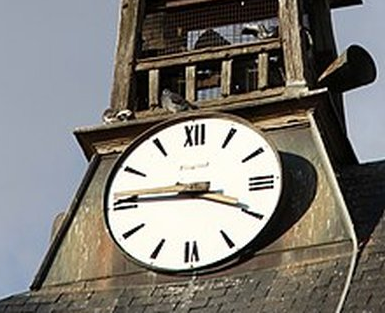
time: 3:45
